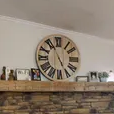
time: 4:56
